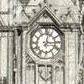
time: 3:02
